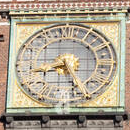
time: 8:26
